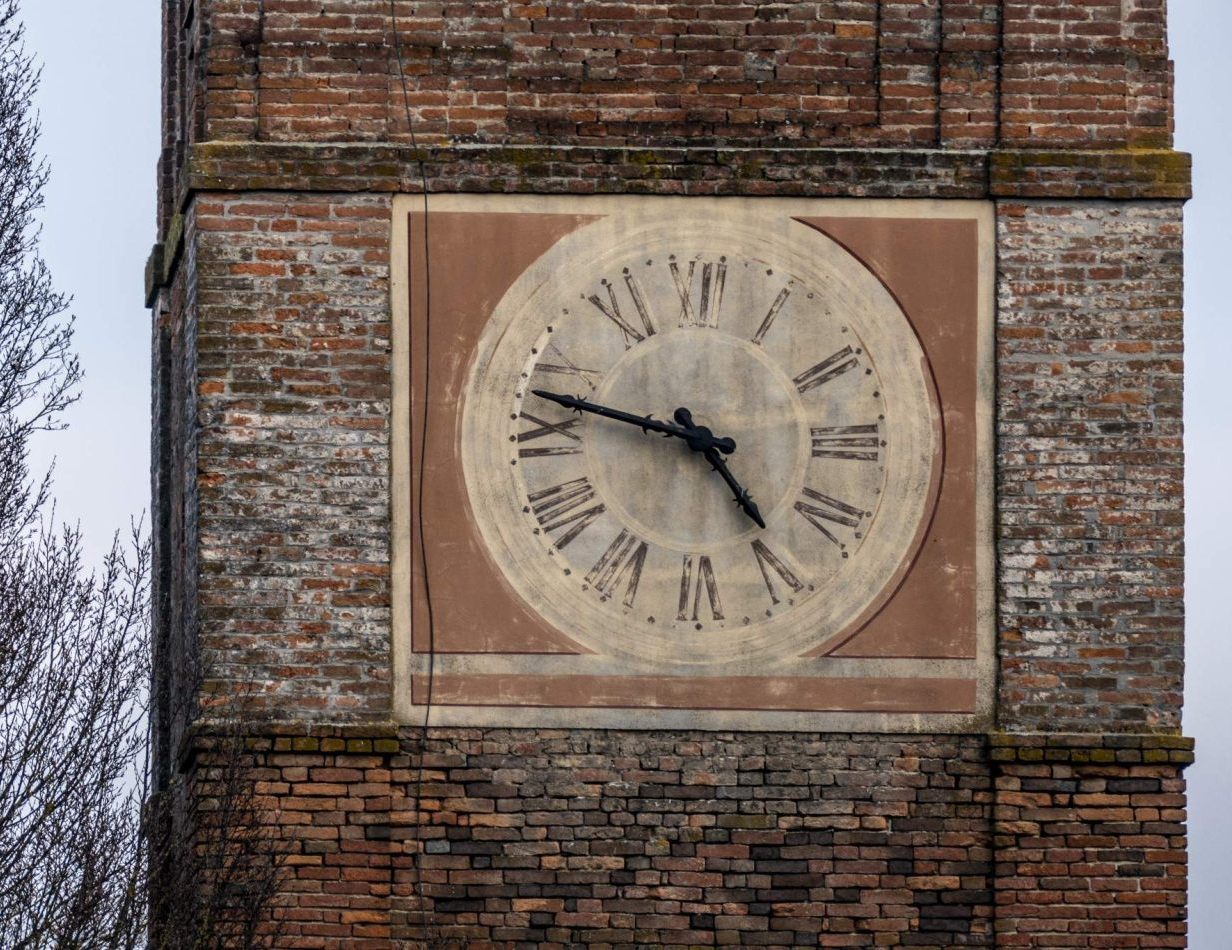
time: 4:47
